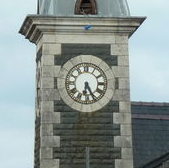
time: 6:25
